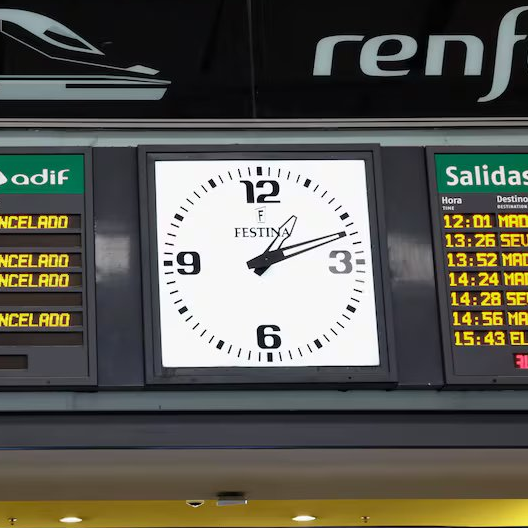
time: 1:11
